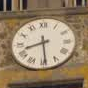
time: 8:29
